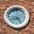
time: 8:24
